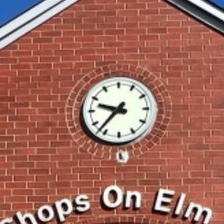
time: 9:36
